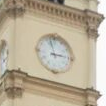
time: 2:57
